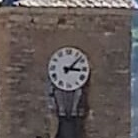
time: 3:07
